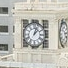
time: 1:02
